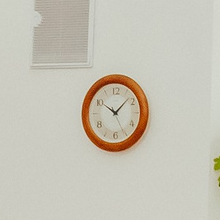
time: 10:07
